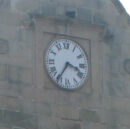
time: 3:35
